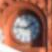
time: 1:46
